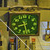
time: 8:27
